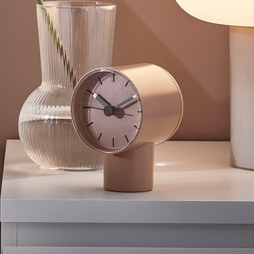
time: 10:10
